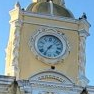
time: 7:07
